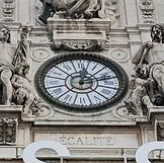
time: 12:13
